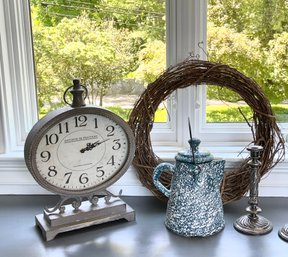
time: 2:12
